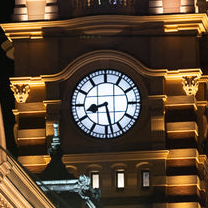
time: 8:27
